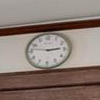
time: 2:46
